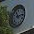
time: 11:13
